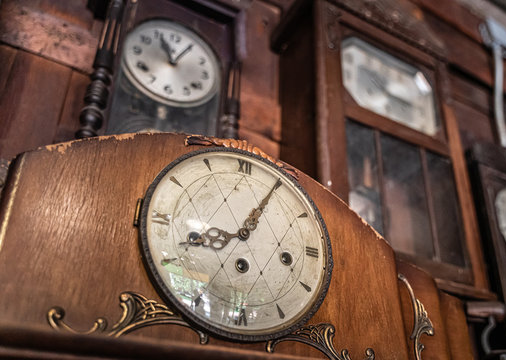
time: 8:04
